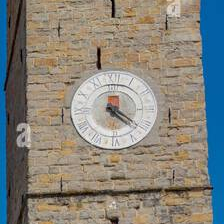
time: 4:21
